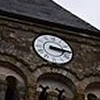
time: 3:14
